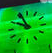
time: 9:56
